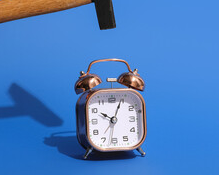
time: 10:04
